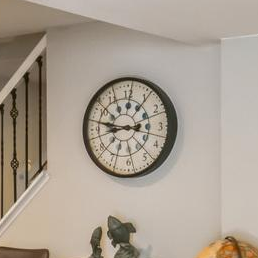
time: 8:46
